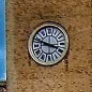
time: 3:48
